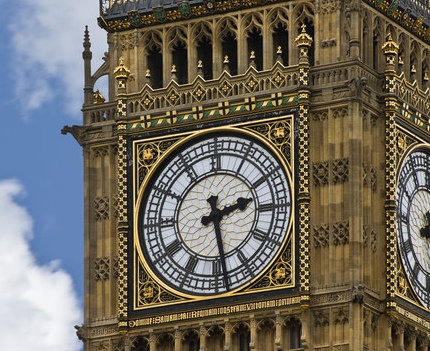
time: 2:28
